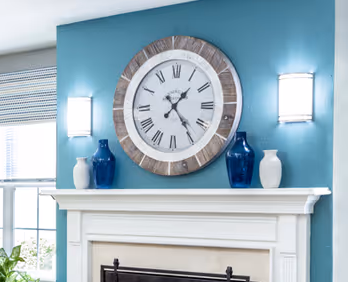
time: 1:24
